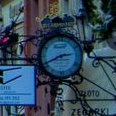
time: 2:40
